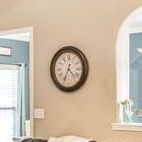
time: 4:33
